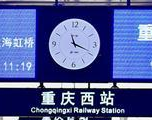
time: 11:18
